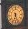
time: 6:26
